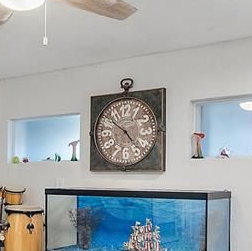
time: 4:50
